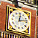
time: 12:13
